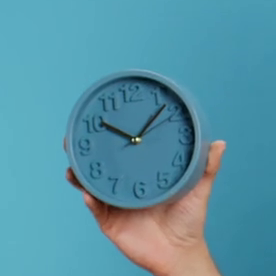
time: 10:07
